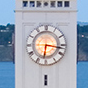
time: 6:16
